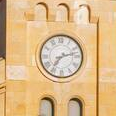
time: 7:12
